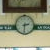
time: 2:30
